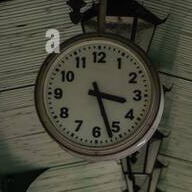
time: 3:26
